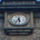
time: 5:35
